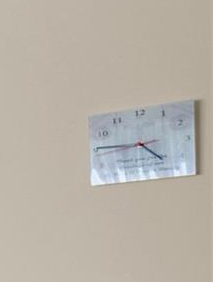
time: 4:45
